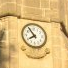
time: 7:54
